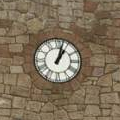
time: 1:02
